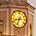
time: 8:33
